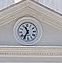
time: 11:35
